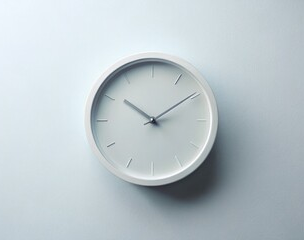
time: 10:09
